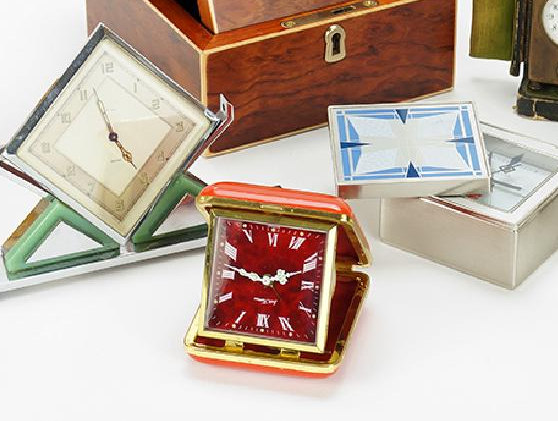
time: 9:11
